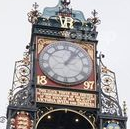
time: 1:07
